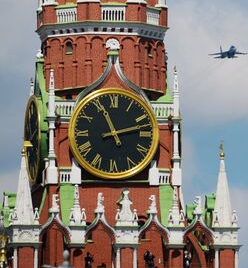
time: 11:12
